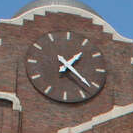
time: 1:21
